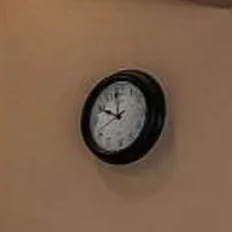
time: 9:59
